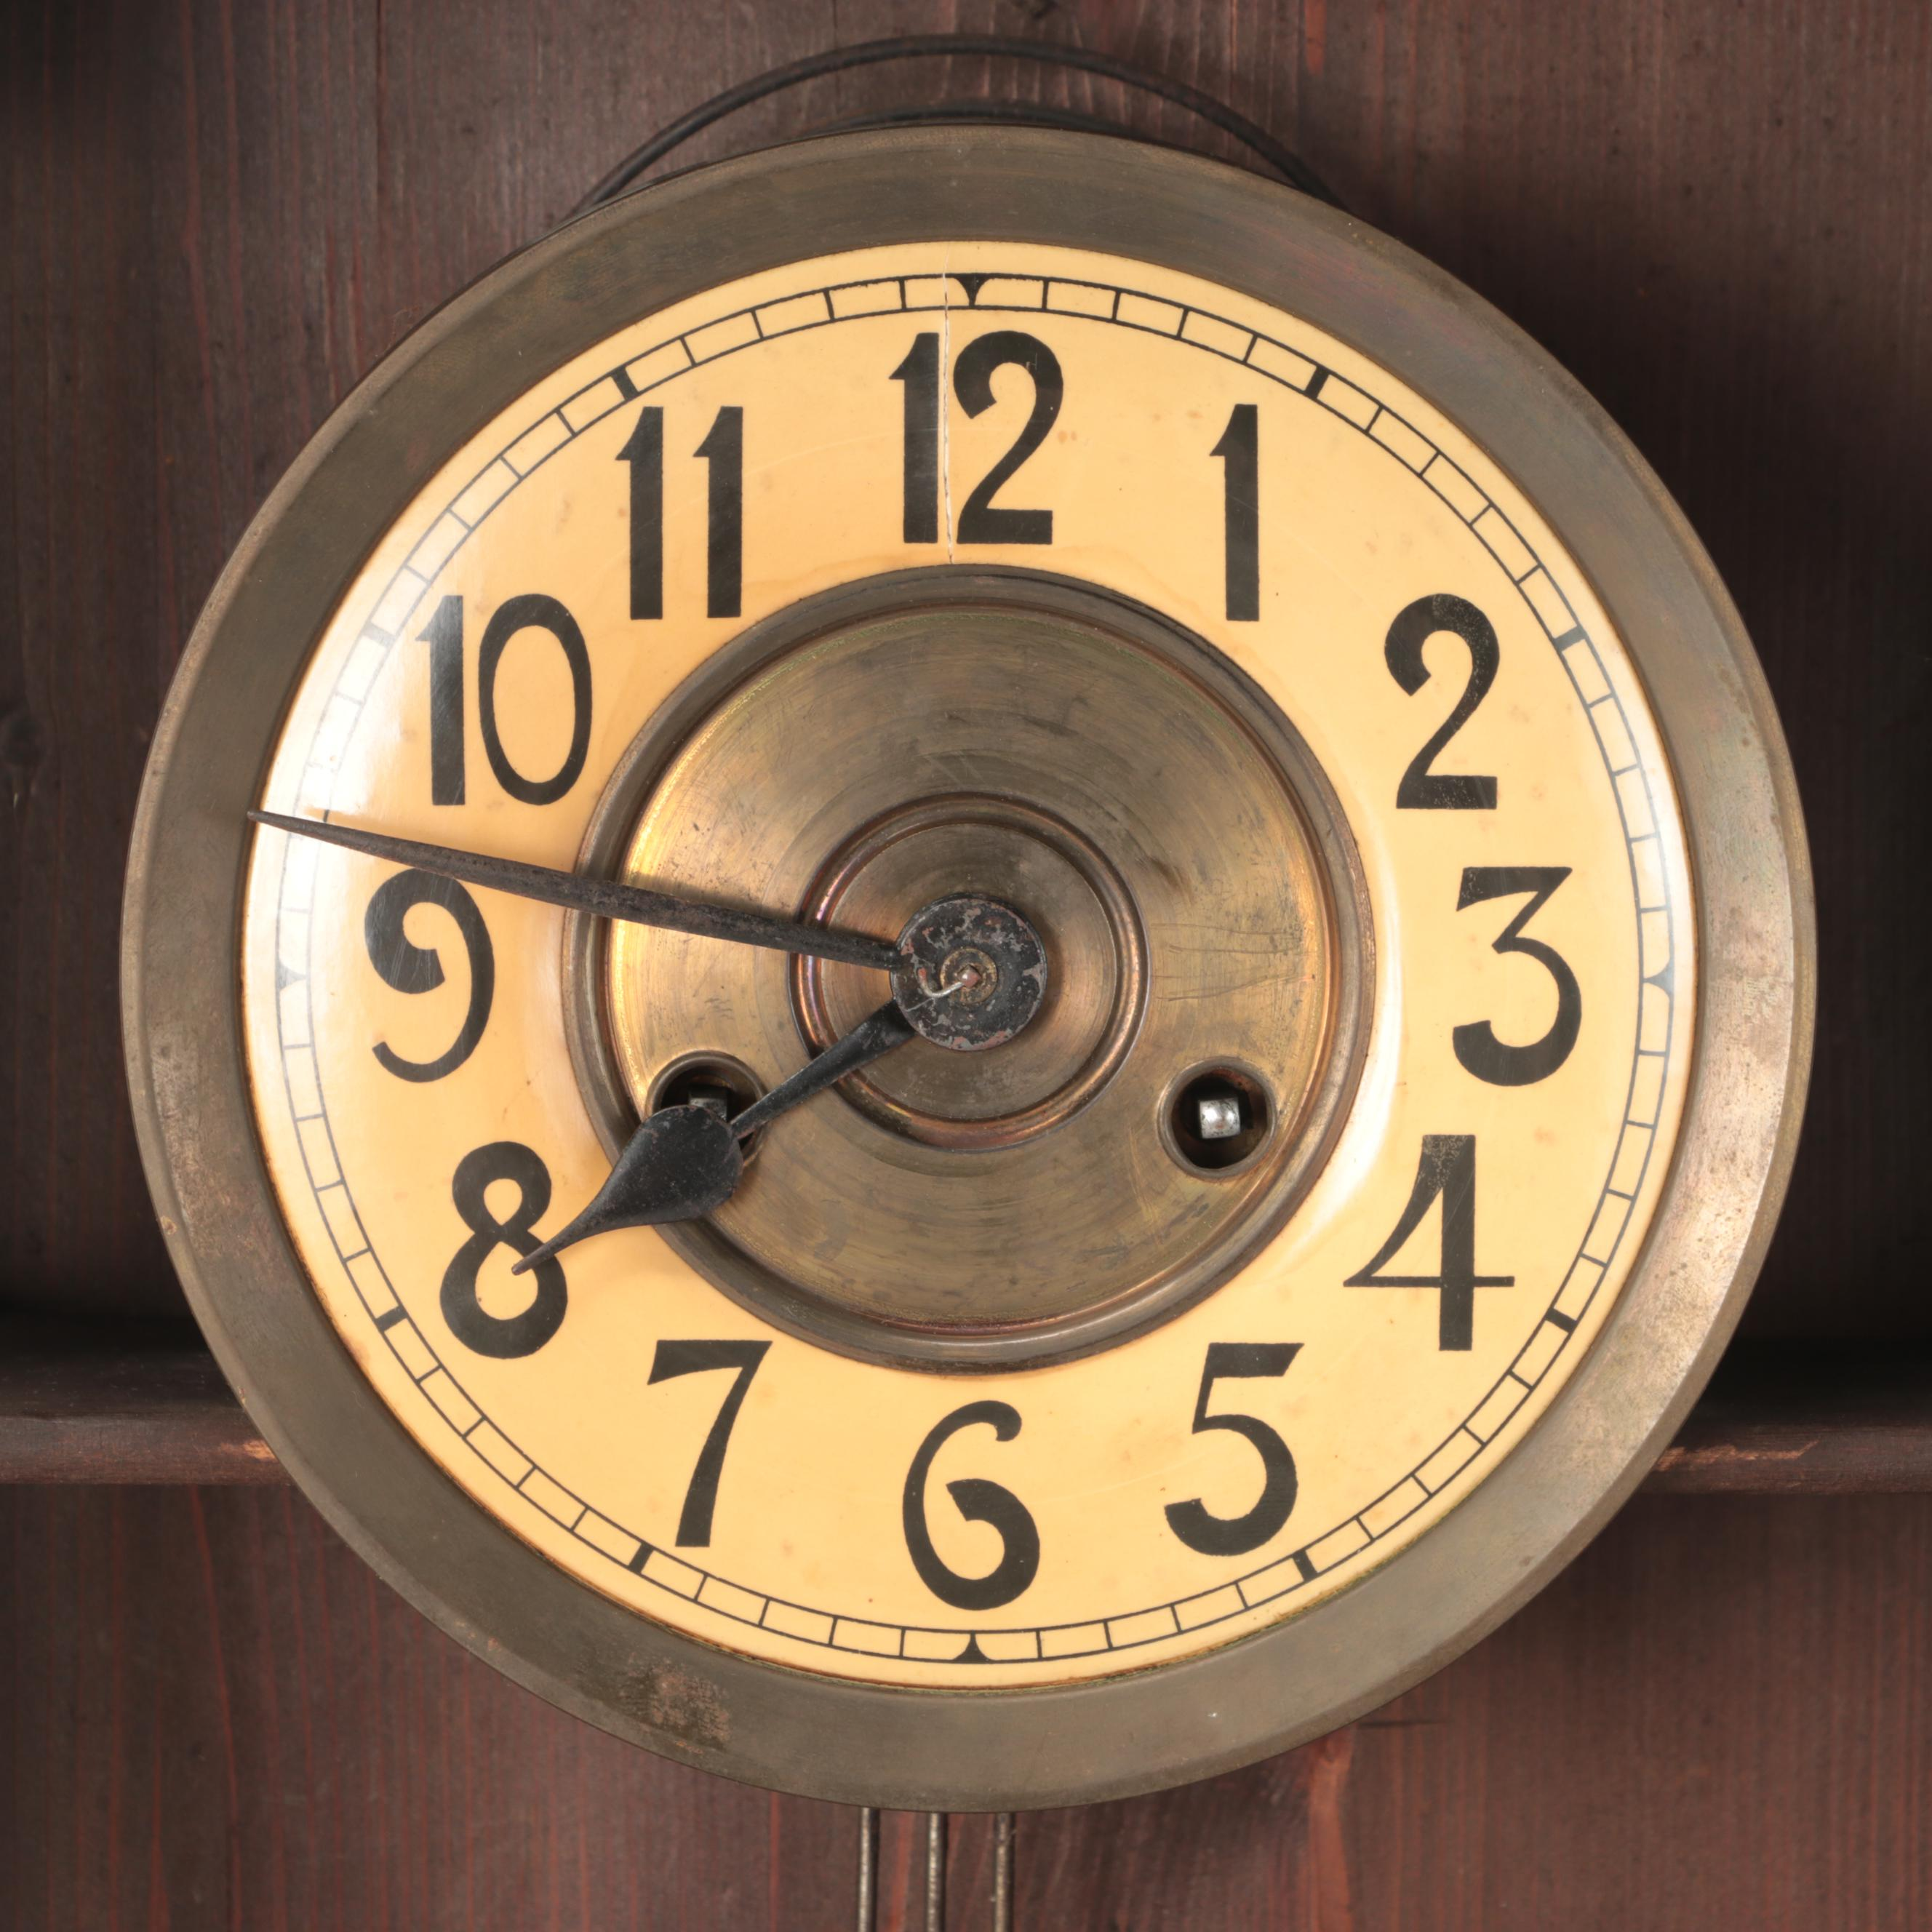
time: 7:47
